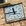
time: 11:46
